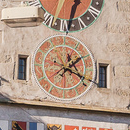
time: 1:18
